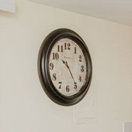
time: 10:24
